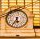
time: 5:35
